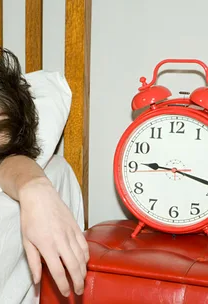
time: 9:17
